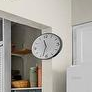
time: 11:32
